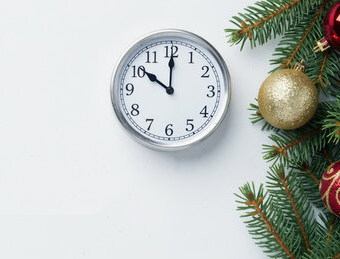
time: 10:00
